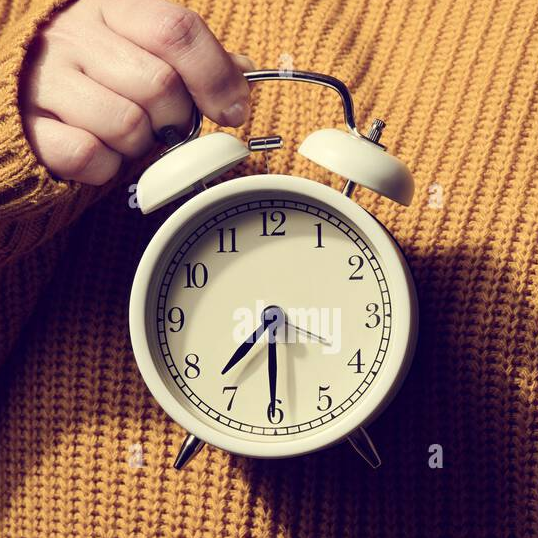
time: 7:30
